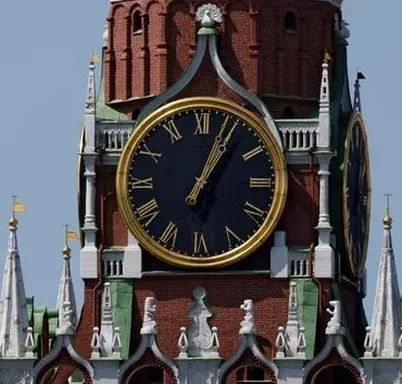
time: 1:03
